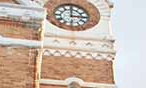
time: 3:00
